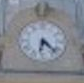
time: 6:22
